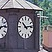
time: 10:13
